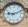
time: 9:11
